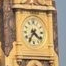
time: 4:35
